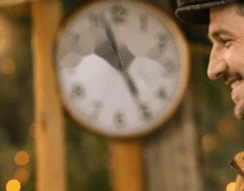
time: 4:56
